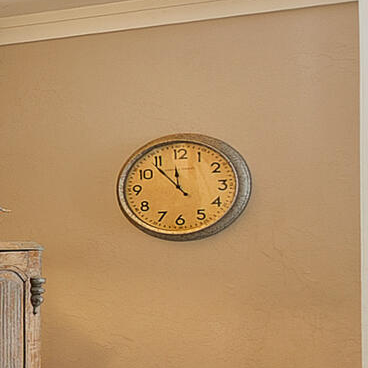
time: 11:53
